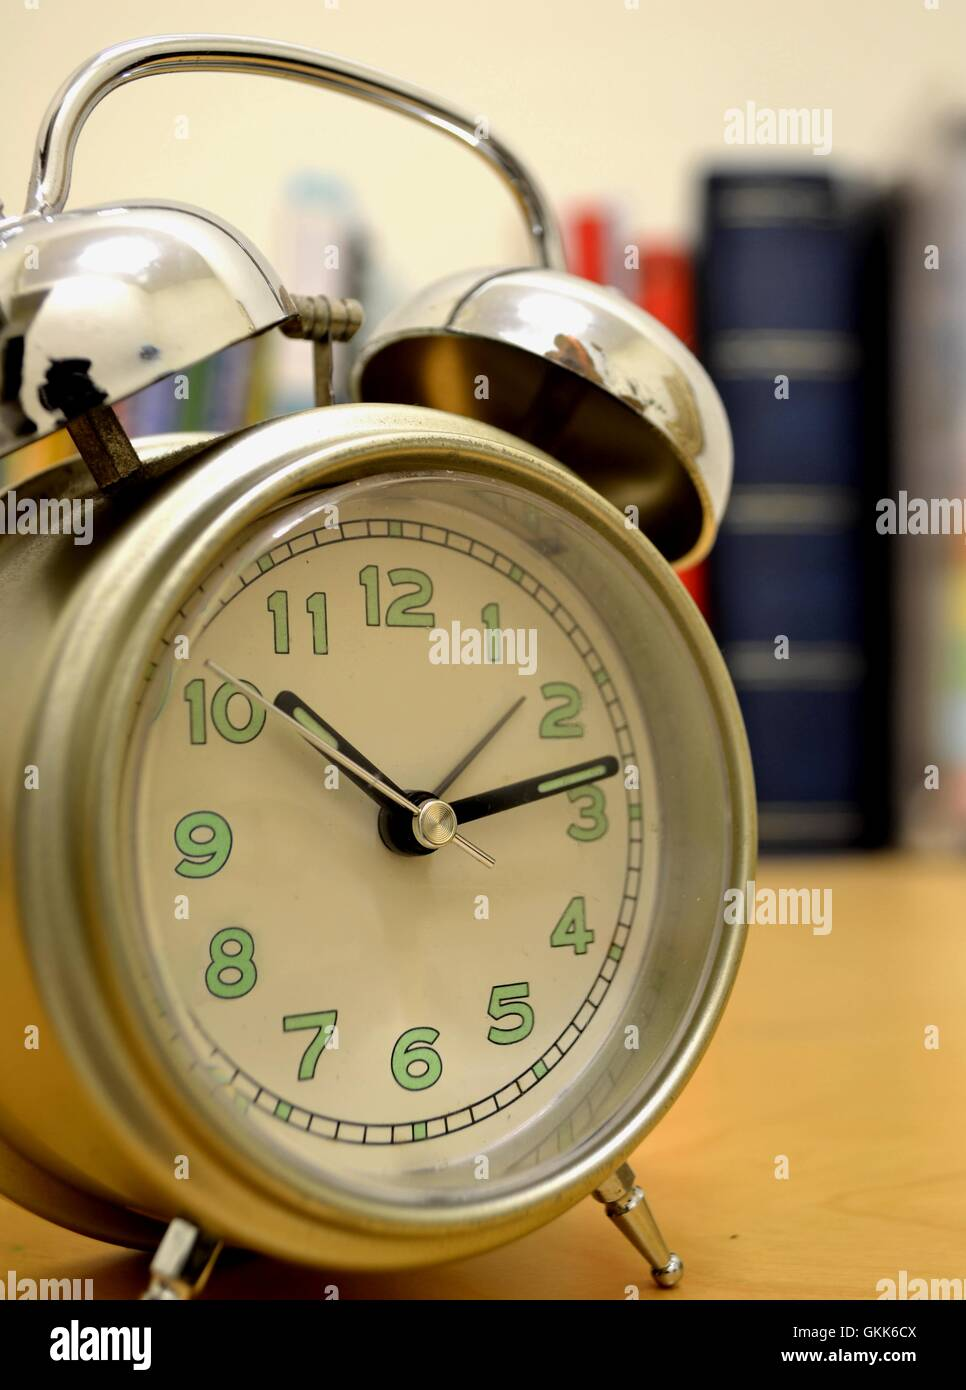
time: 10:13
